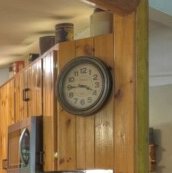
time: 3:44
